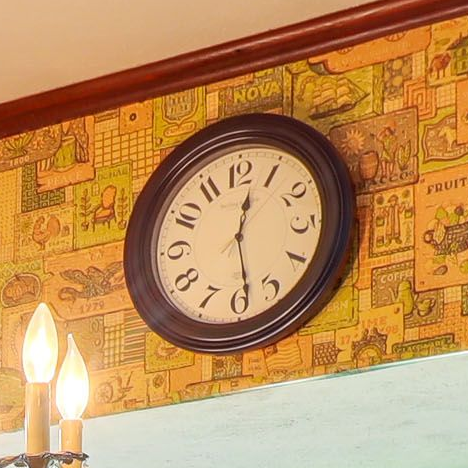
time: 12:28
